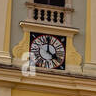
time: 4:00
